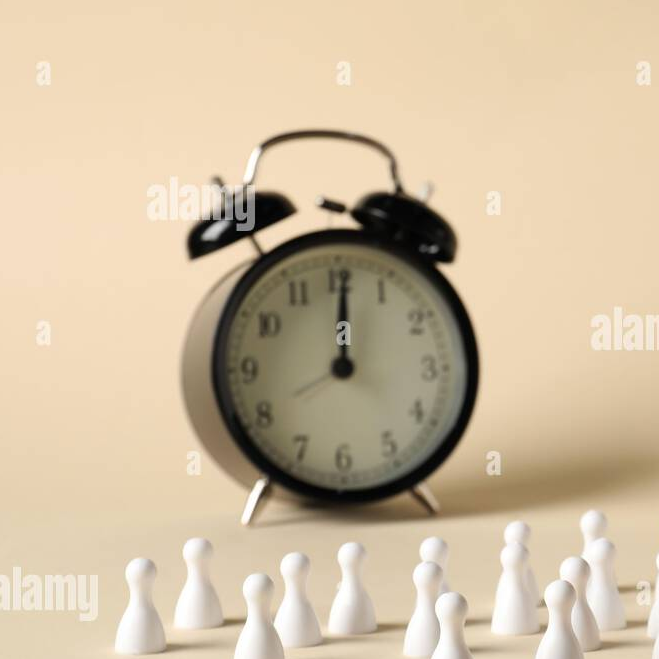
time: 12:00
